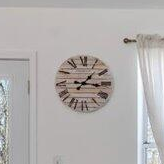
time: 1:16
